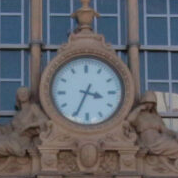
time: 3:34
